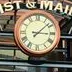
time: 3:07
